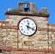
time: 12:18
